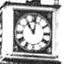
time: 11:02
